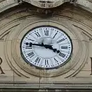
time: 3:46
